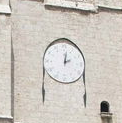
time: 2:01
